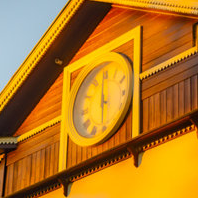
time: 5:59
